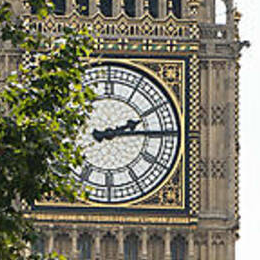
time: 2:14
